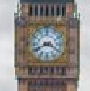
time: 3:41
